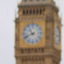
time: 10:41
